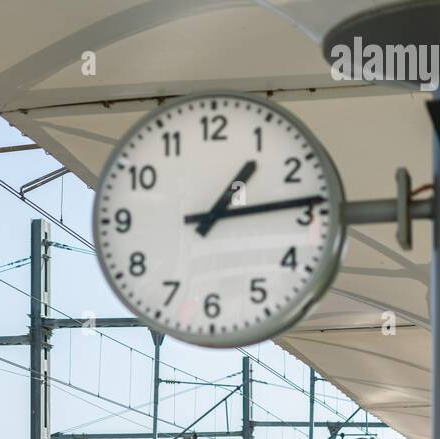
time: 1:13
